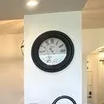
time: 10:45
